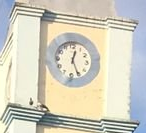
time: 12:25
